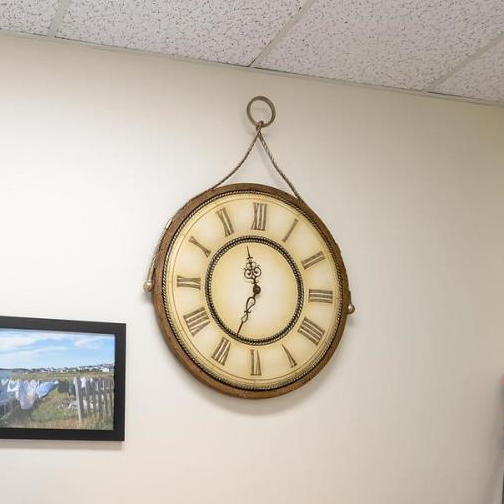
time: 11:33
